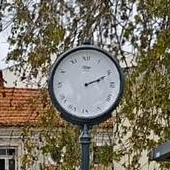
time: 2:11
